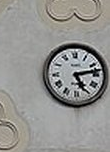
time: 5:13
